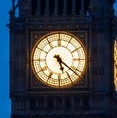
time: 5:21
